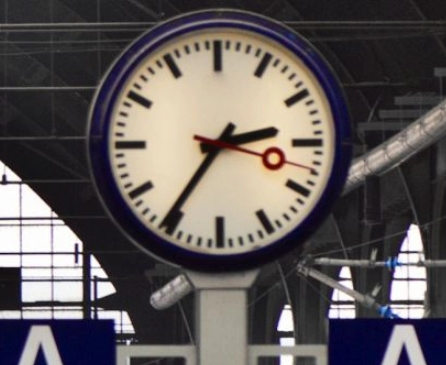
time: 2:35
